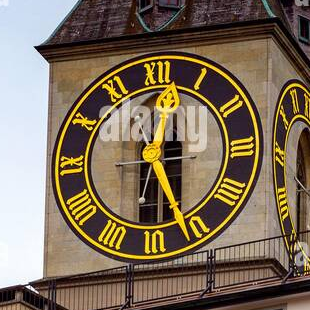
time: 12:26
